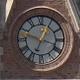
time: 12:48
